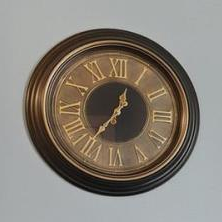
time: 12:36
